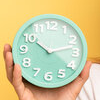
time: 10:12
